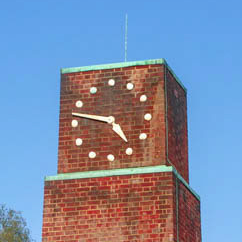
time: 4:47
